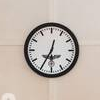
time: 12:34
